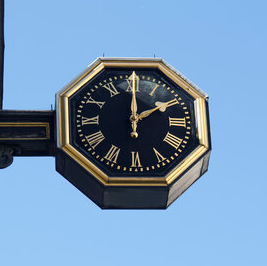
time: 2:00
